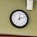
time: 12:11
